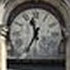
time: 11:34
